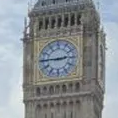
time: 2:45
